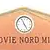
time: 4:56
